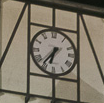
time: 6:36
